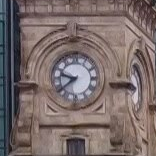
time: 9:38
